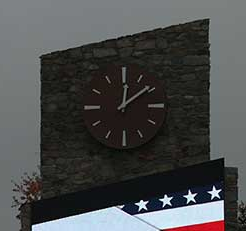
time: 12:08
